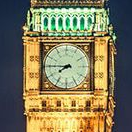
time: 7:45
